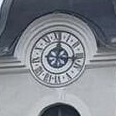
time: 12:16
